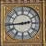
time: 2:44
